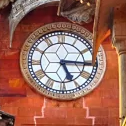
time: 5:15
